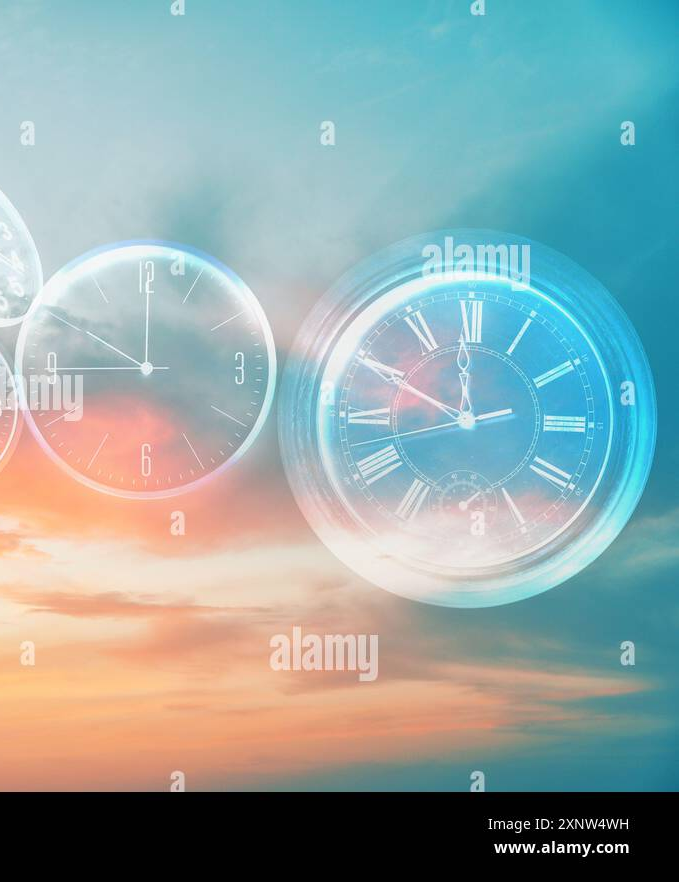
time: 11:49
